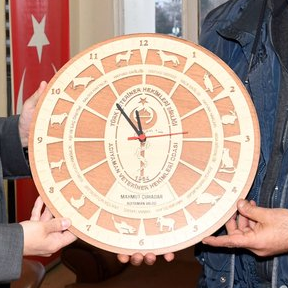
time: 11:53
